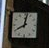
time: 8:01
